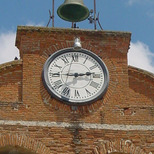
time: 2:45
